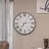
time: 7:12
